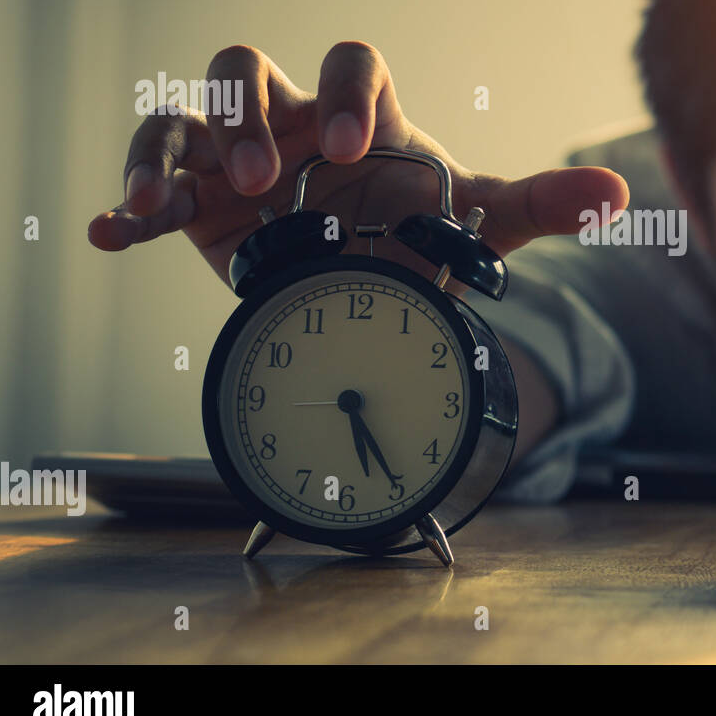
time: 5:24
